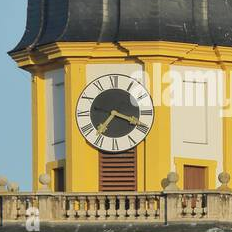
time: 7:18
